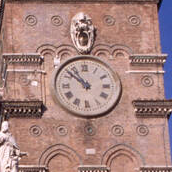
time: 10:51
